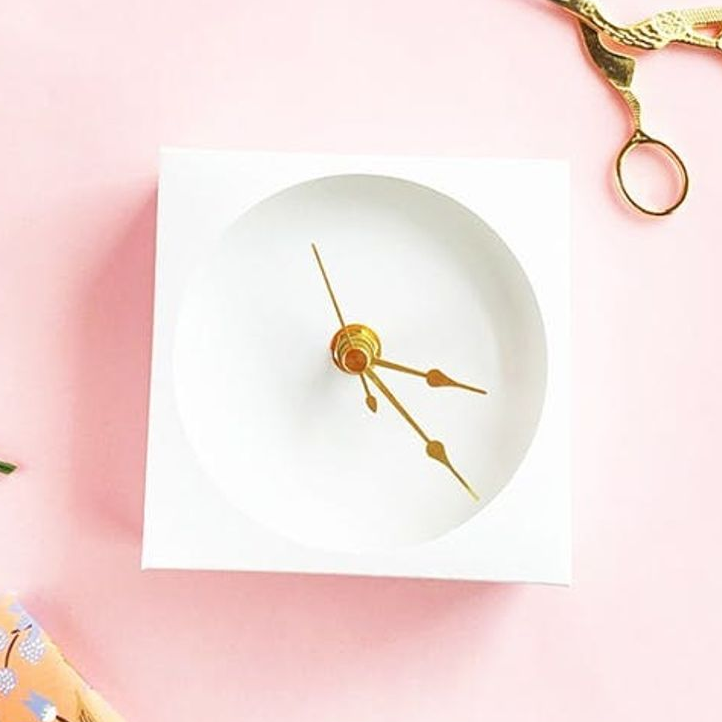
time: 3:22
